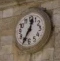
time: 12:34
